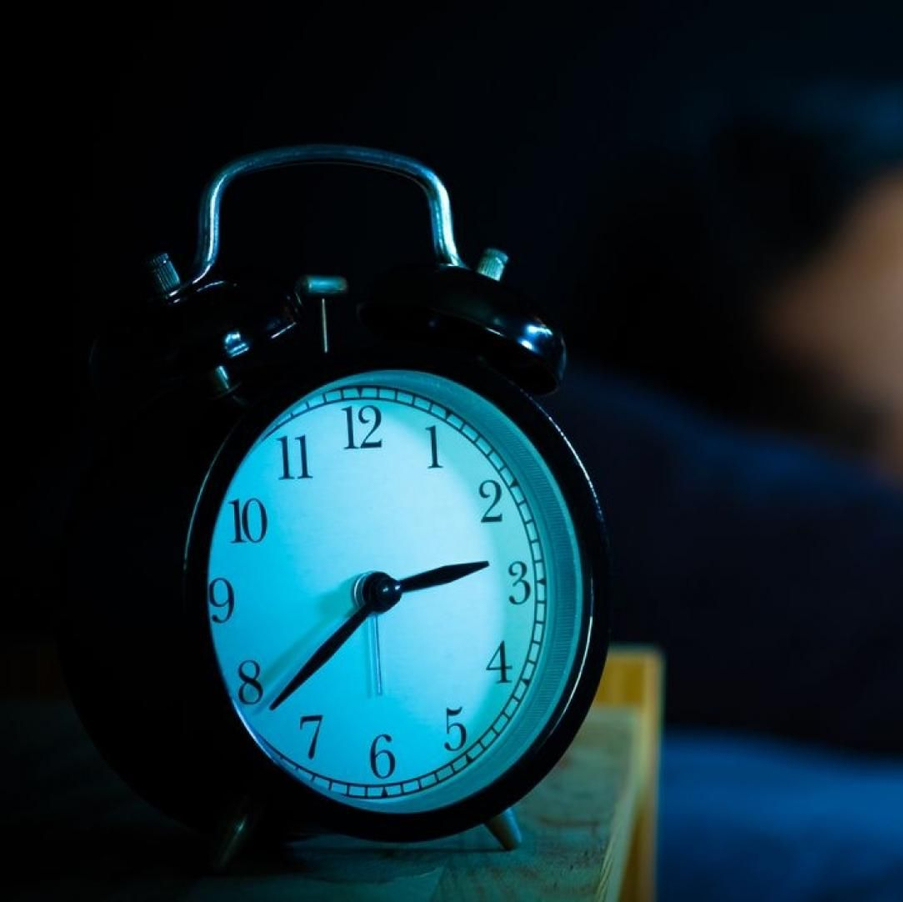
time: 2:38
